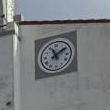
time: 11:09
